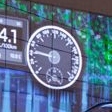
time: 9:01
